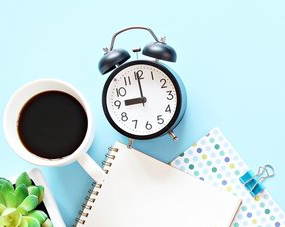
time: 8:59
